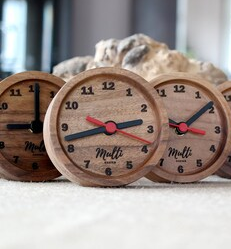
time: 2:42
